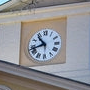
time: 10:42
